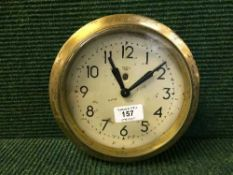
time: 11:08
